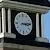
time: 3:13
